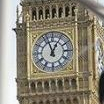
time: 12:57
